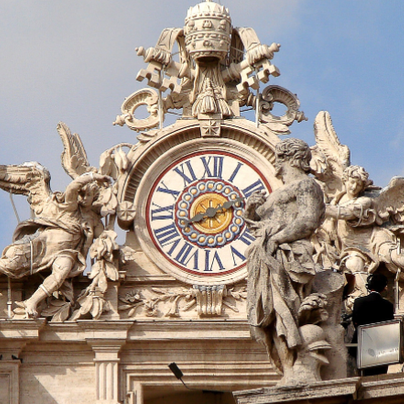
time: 8:11
